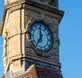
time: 6:59
